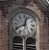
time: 12:40
